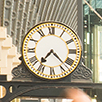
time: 7:22
